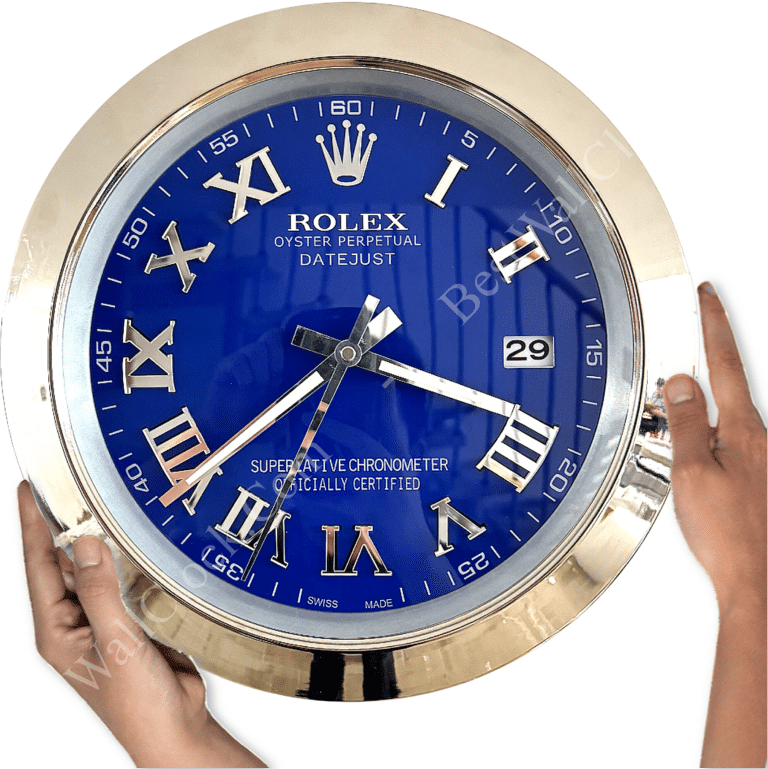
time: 3:38
